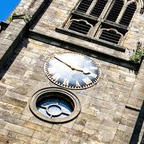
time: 2:50
